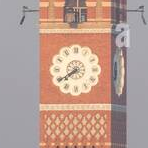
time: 7:39
